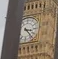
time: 3:22
